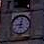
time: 9:01
